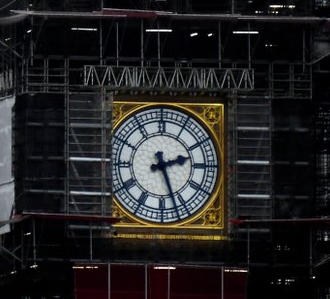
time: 2:26
